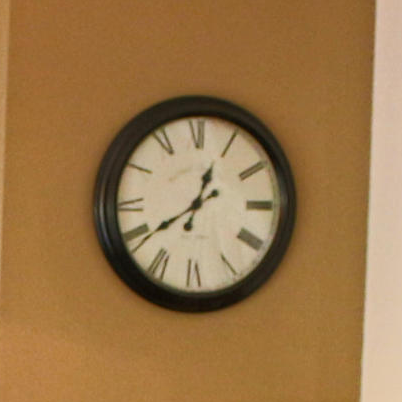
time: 12:39
